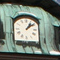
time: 1:08
